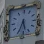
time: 5:34
